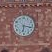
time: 6:17
